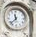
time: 11:37
